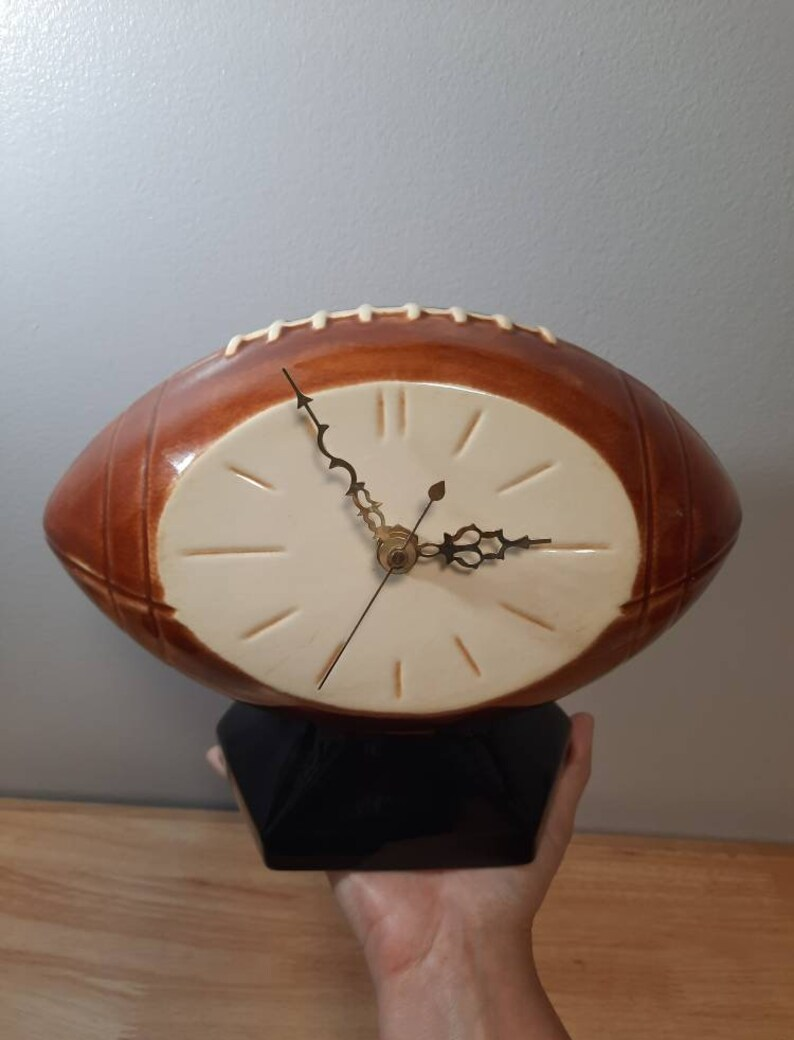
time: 2:55
